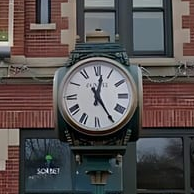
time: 12:24
